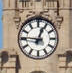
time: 12:46
